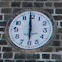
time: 5:59
